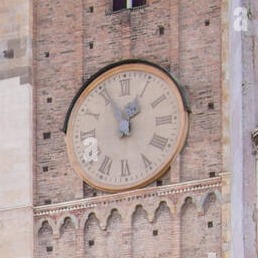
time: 12:55
